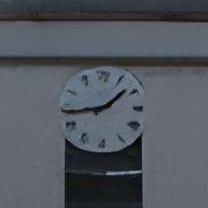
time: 1:43
